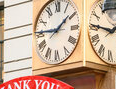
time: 1:45
